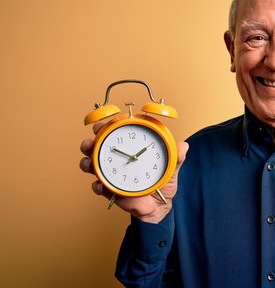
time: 1:50
